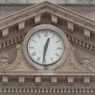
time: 12:31
